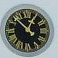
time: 12:52
